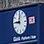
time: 9:01
